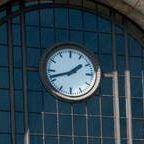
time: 1:42
